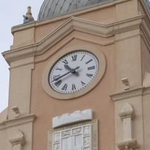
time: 10:41
